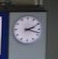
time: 2:18
